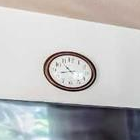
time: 10:42
